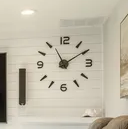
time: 11:09
